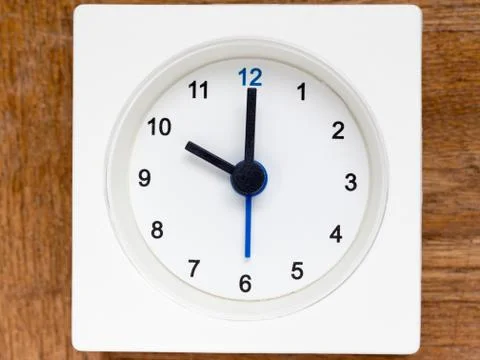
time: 10:00
